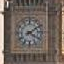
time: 4:09
